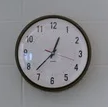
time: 12:37
